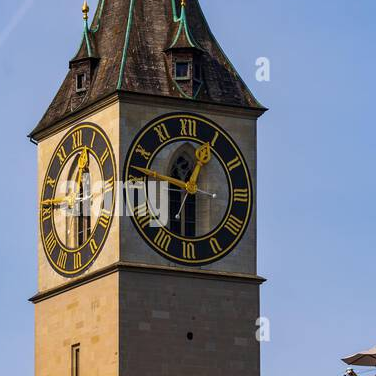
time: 12:46
